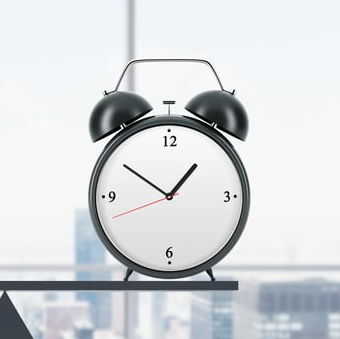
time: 1:50
